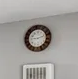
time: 9:12
